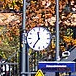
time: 11:35
